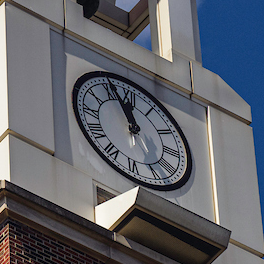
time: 11:56
